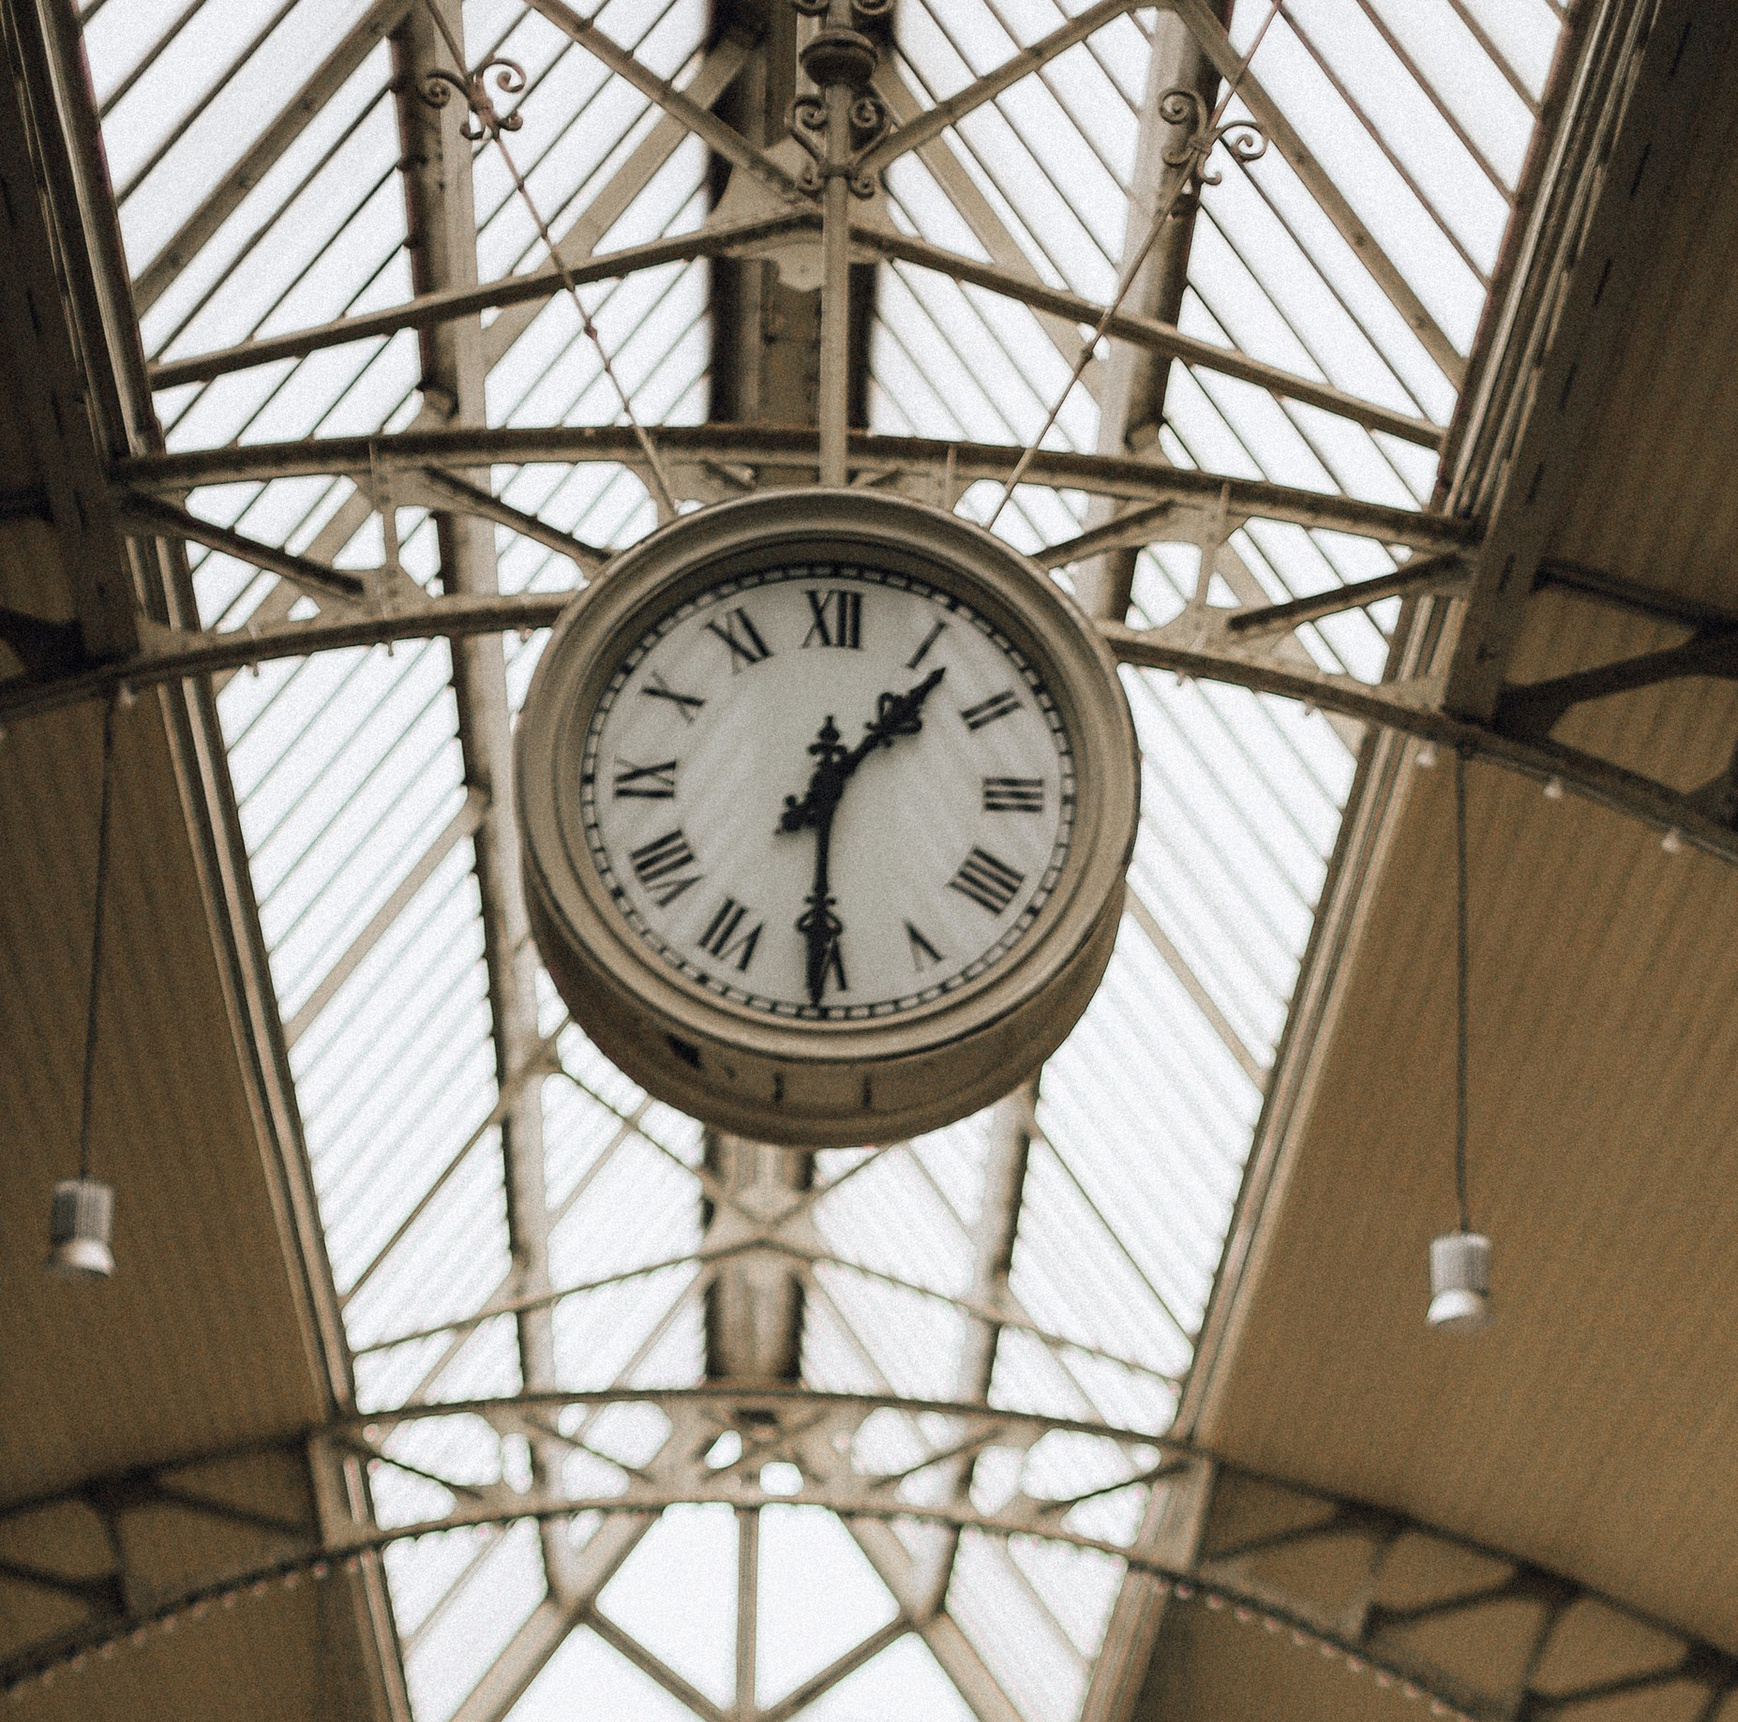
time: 1:30
